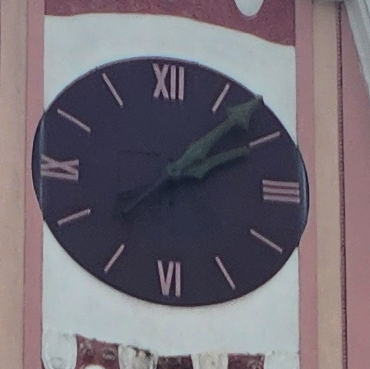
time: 2:07
